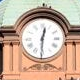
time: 12:30
